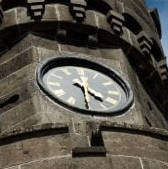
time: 4:29
